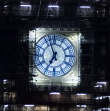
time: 6:56
